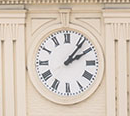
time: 2:06
